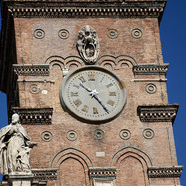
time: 10:24
